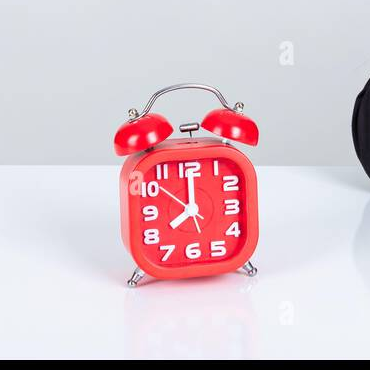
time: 8:00
